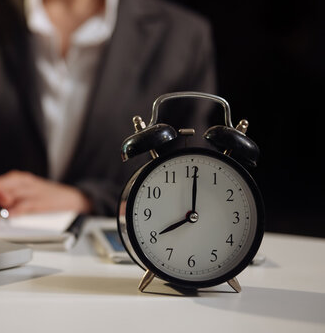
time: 8:00
